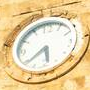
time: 5:38
